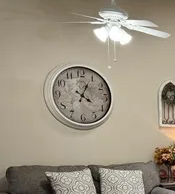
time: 4:04
